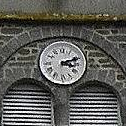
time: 3:11
